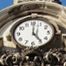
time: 5:00
